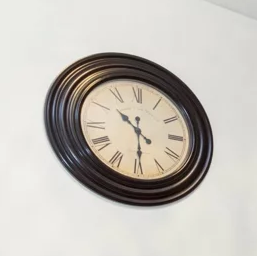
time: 10:29
